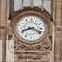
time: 8:18
